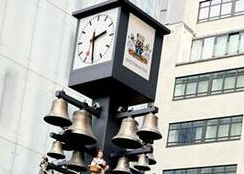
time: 2:29
